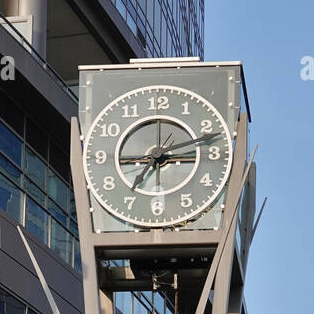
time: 3:12
